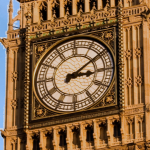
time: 3:09
